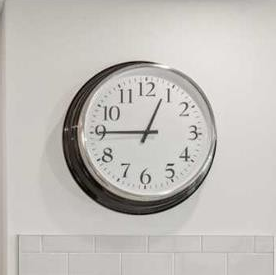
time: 12:45
